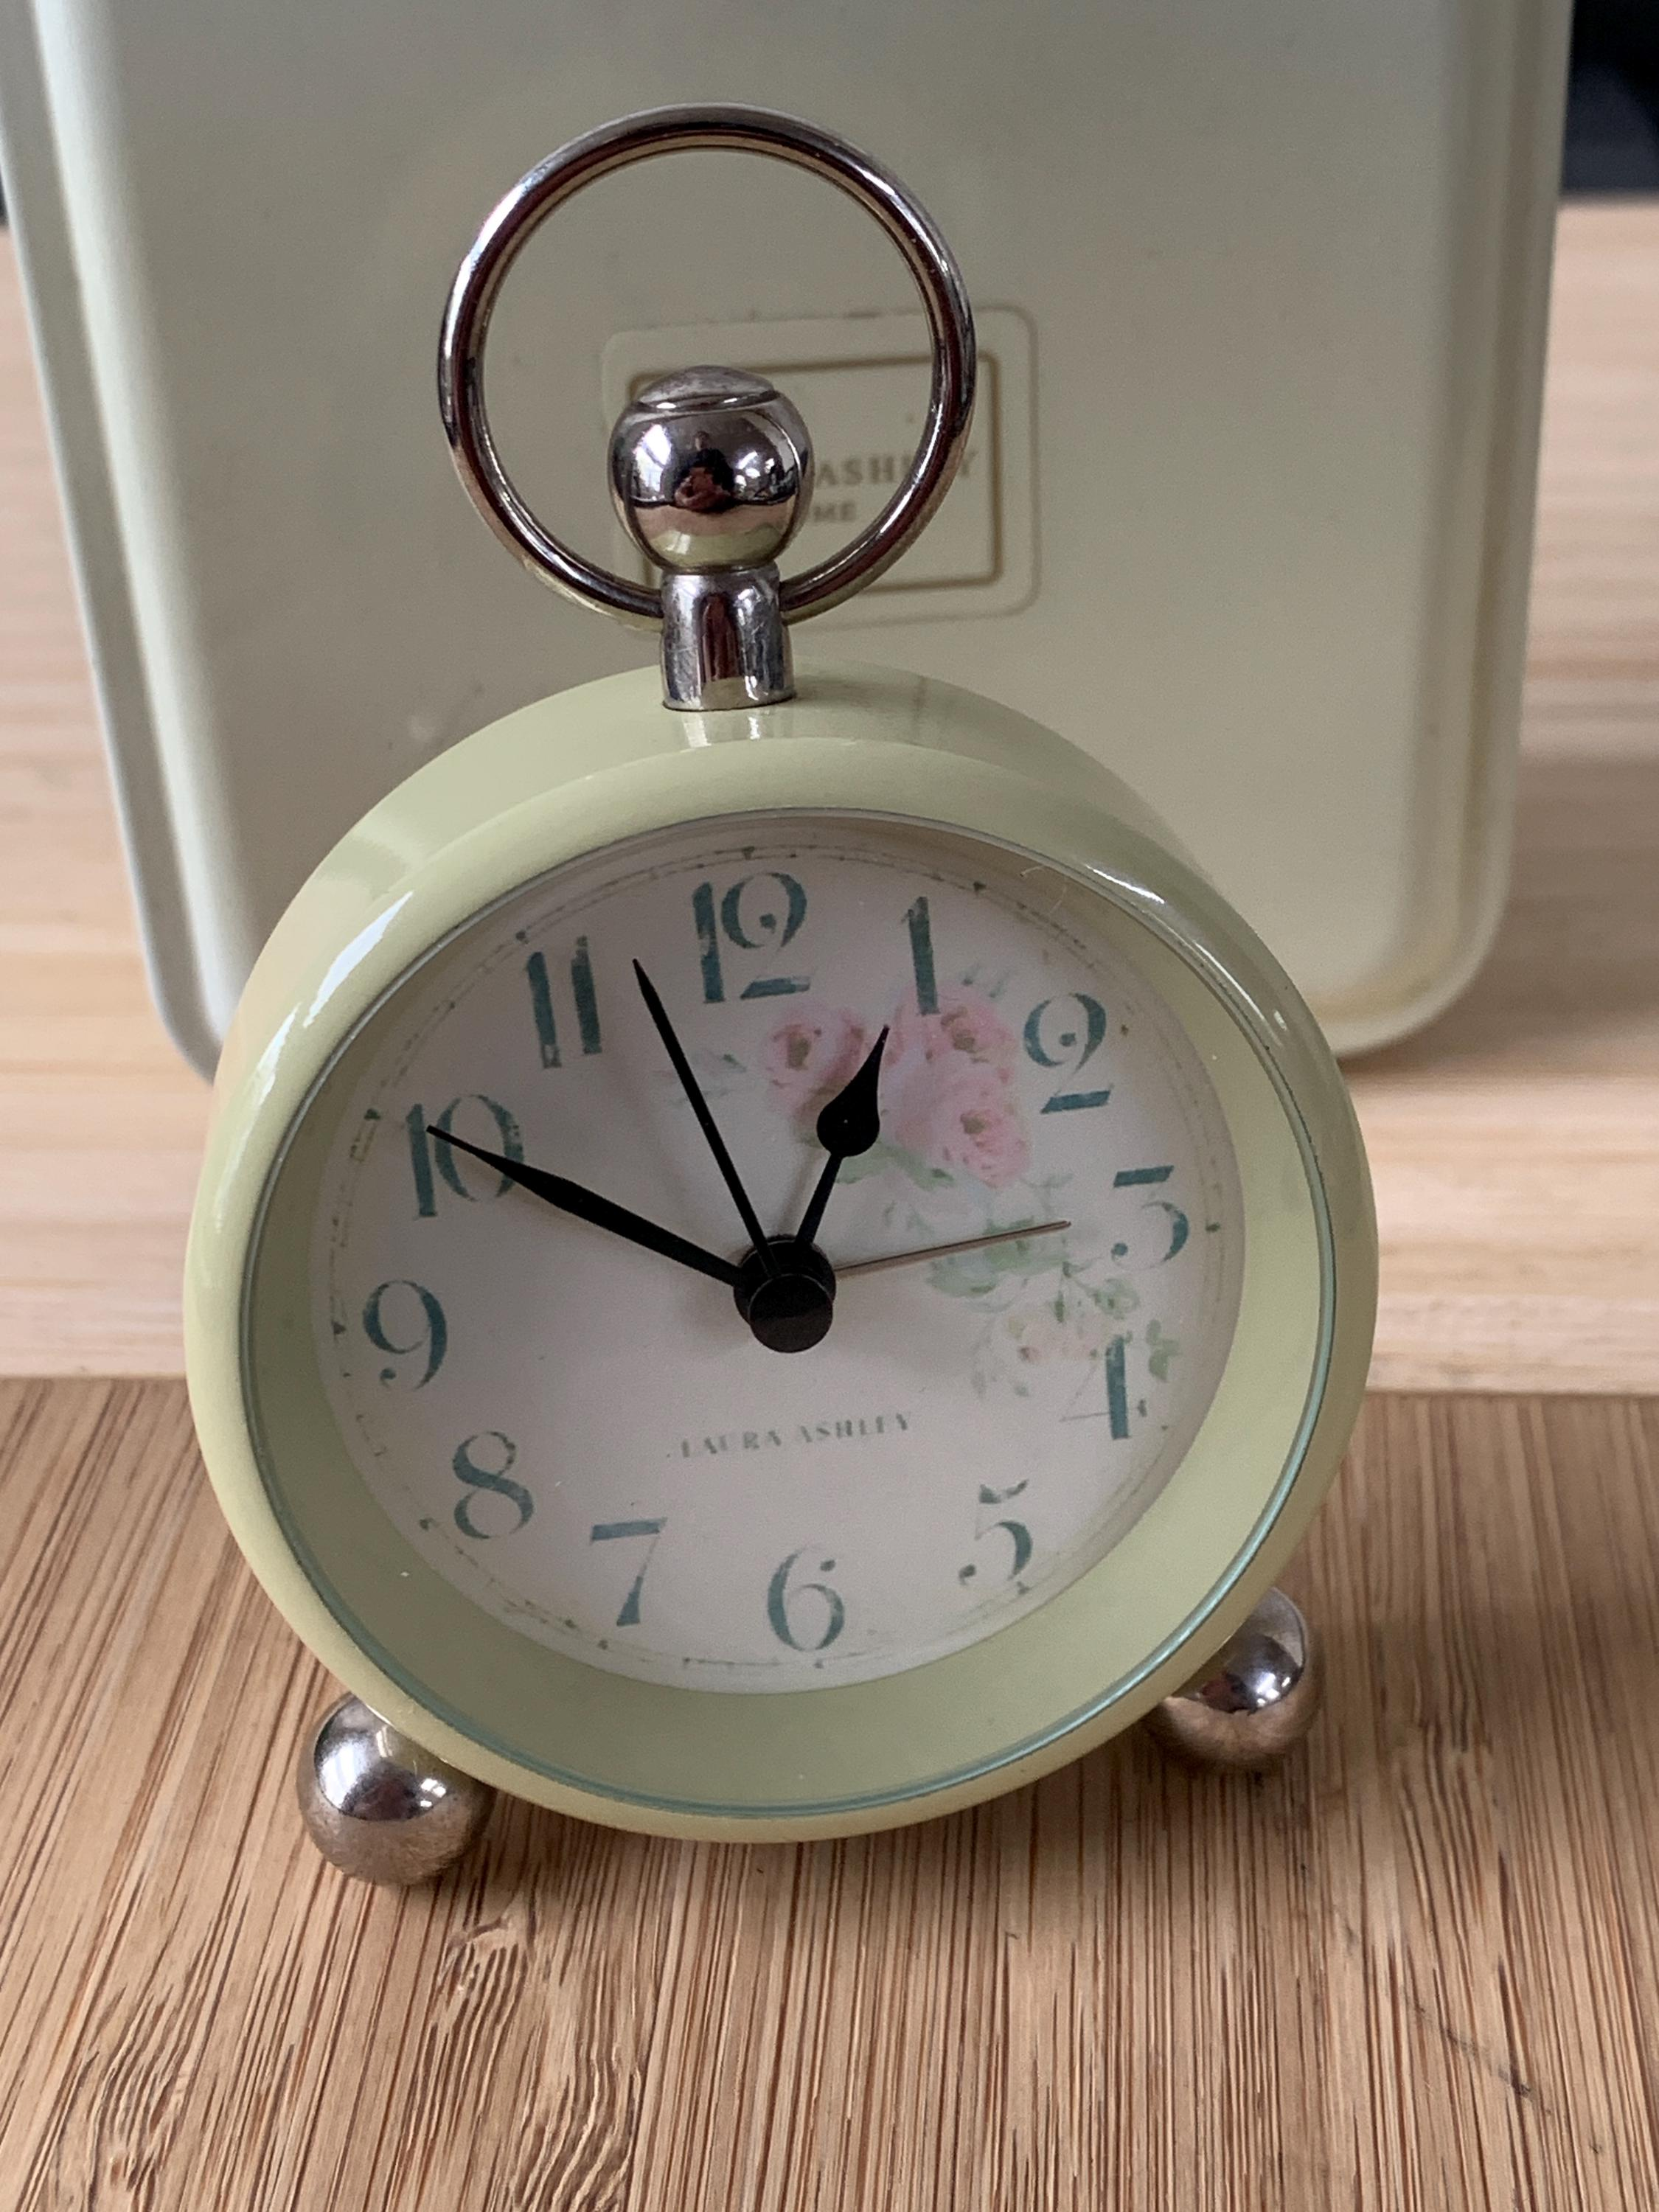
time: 12:50
